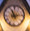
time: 11:13
